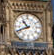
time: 10:41
